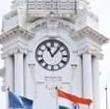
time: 11:06
